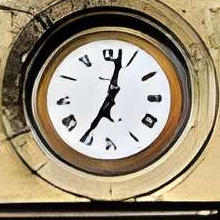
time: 7:02
